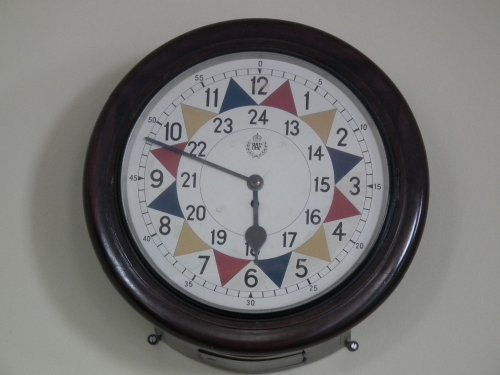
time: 5:48
